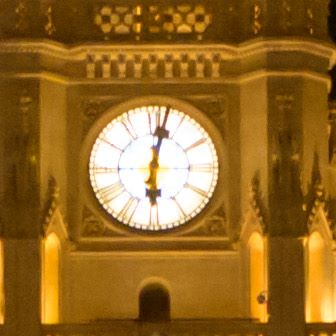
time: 6:02
